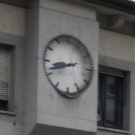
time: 8:42
